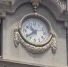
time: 10:38
